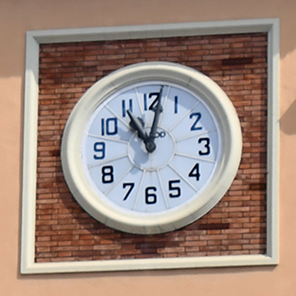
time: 11:01
